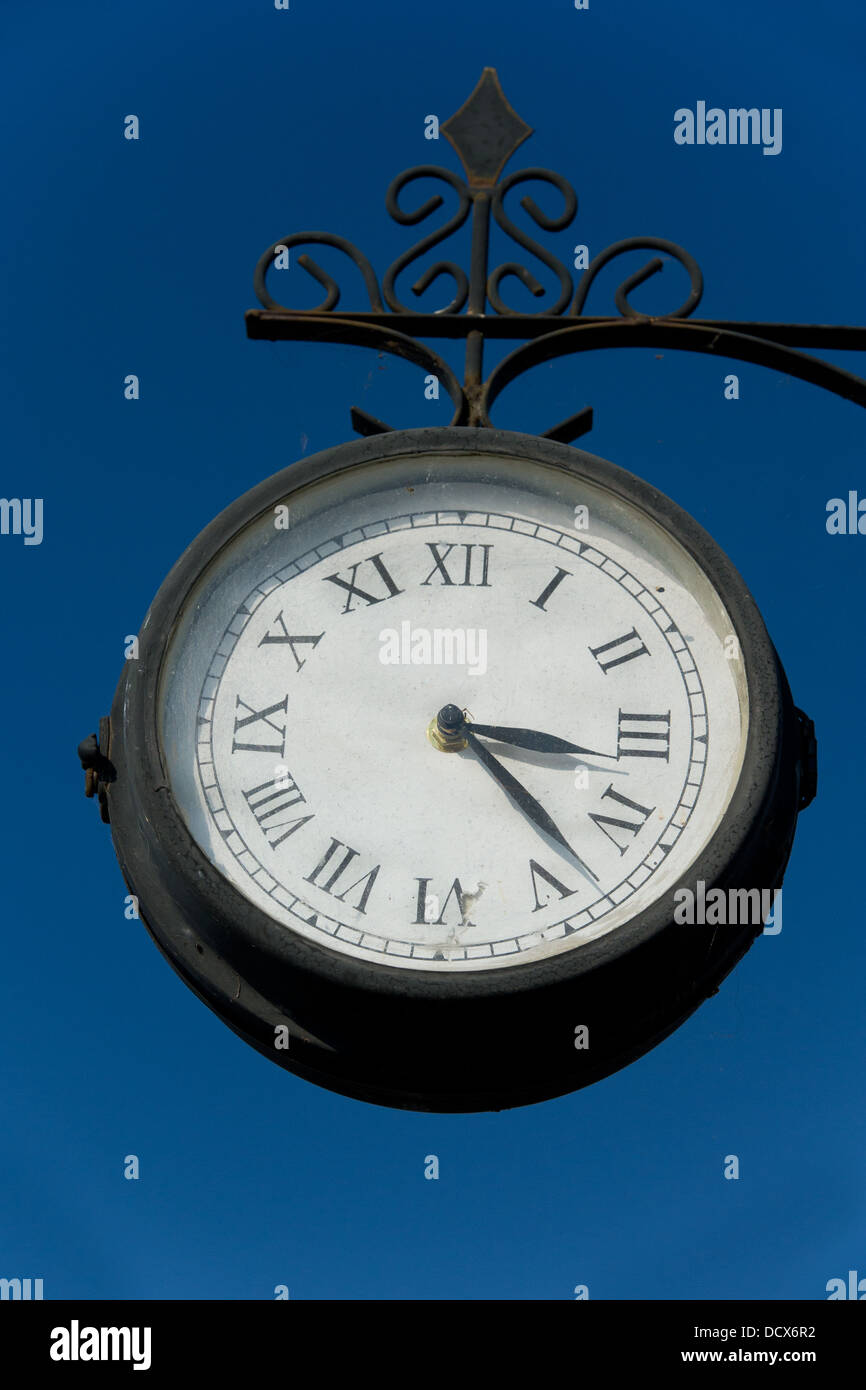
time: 3:22
